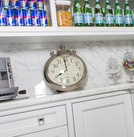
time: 7:59
